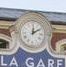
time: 2:00
